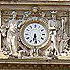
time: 6:28
